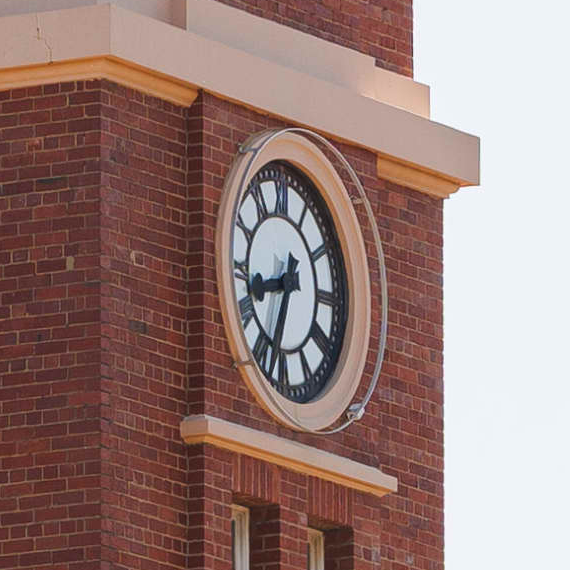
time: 8:33
